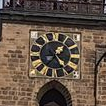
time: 1:24
